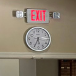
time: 5:34
